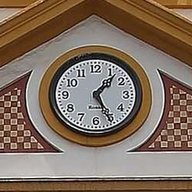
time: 1:25
